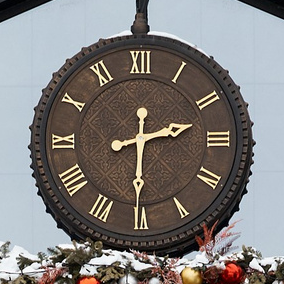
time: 2:30
